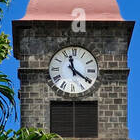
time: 11:20
